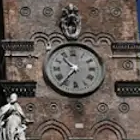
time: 10:36
